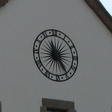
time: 11:24
